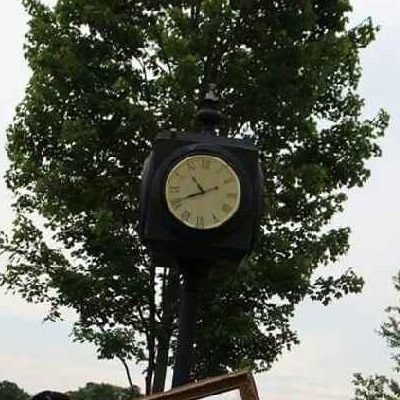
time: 10:41
